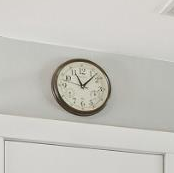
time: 11:07
